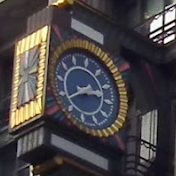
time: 2:38
